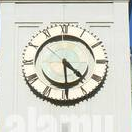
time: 4:29
